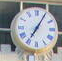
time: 7:05
